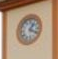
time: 1:18
